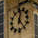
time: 12:23
